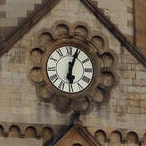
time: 6:03
